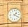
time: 1:20
